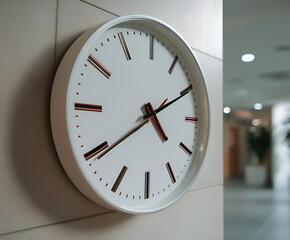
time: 4:10
